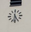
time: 6:25
